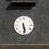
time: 5:28
